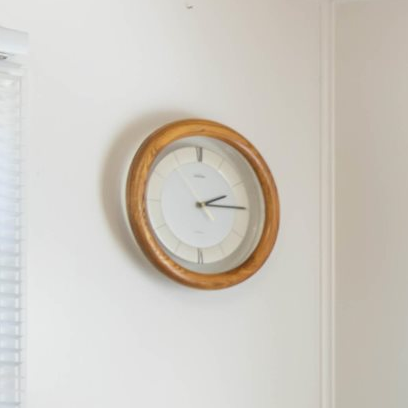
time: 2:14
